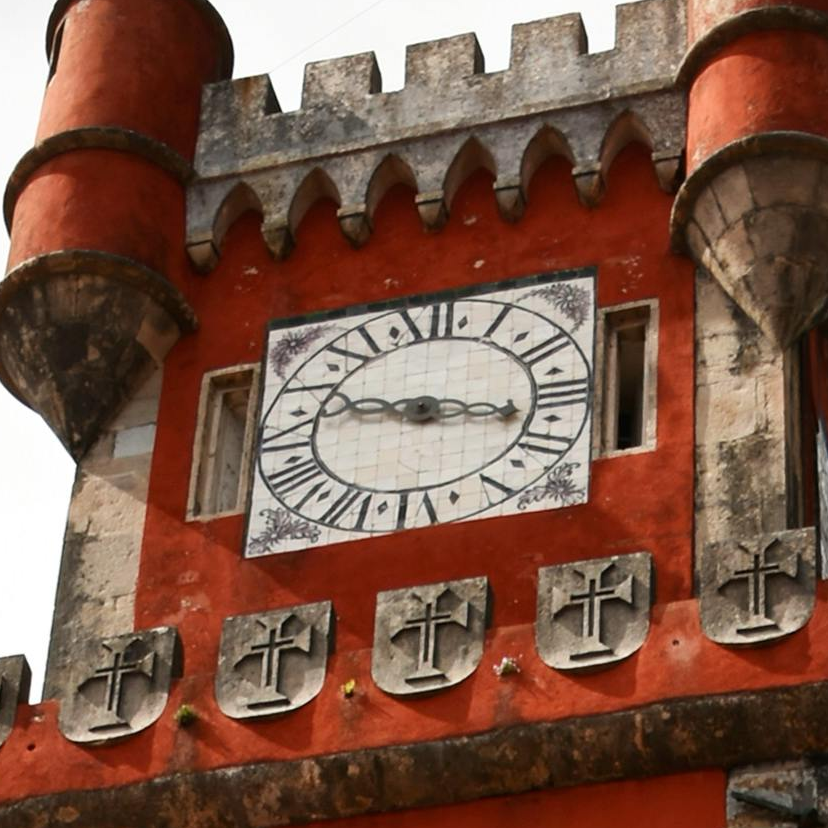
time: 9:17
